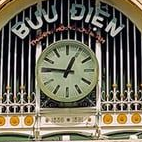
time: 12:46
